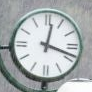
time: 12:18
